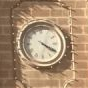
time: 4:20
